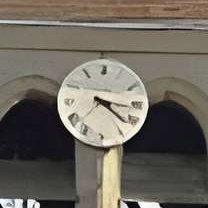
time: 4:16
